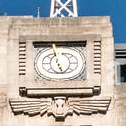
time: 5:26
